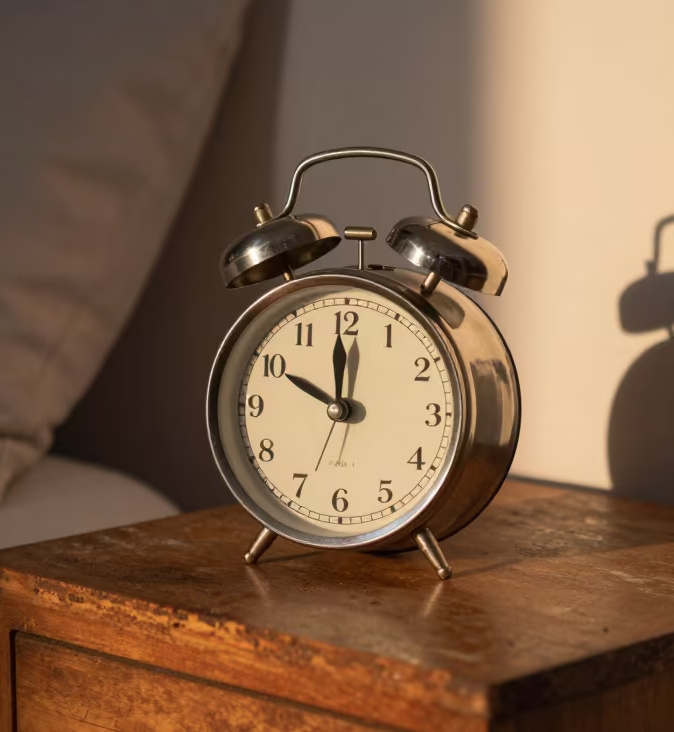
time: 9:59
